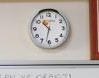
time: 10:32
